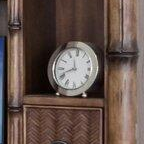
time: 11:41
